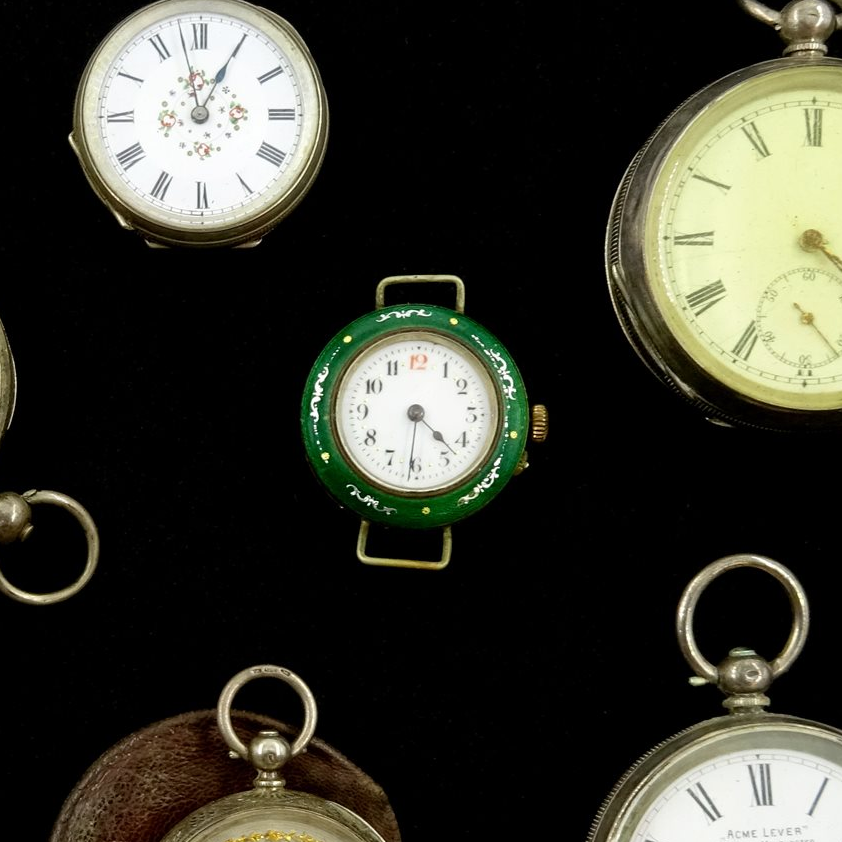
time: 4:31
